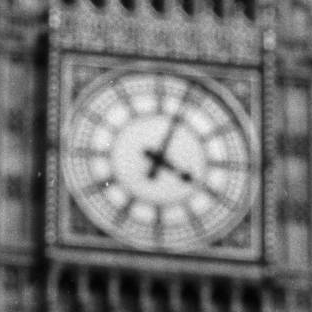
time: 4:03
